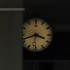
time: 3:41
